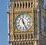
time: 11:25
